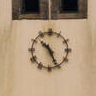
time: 10:26
